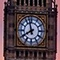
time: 7:57
